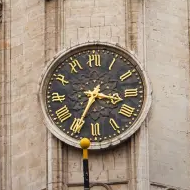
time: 3:34
